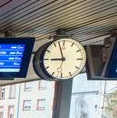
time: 8:57
